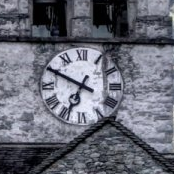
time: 6:49
